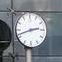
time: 2:42
